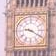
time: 9:20
